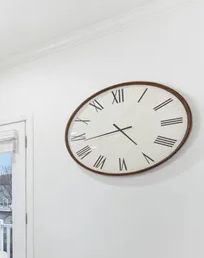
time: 4:43
